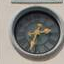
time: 2:33
